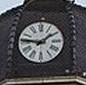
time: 1:46
